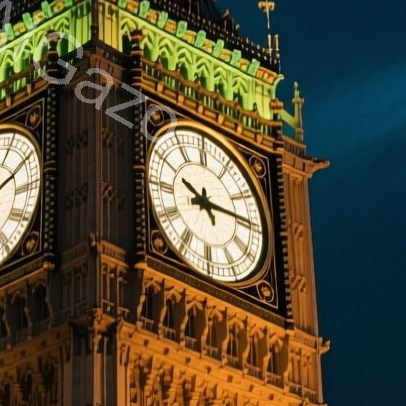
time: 10:14
